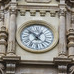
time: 12:52
